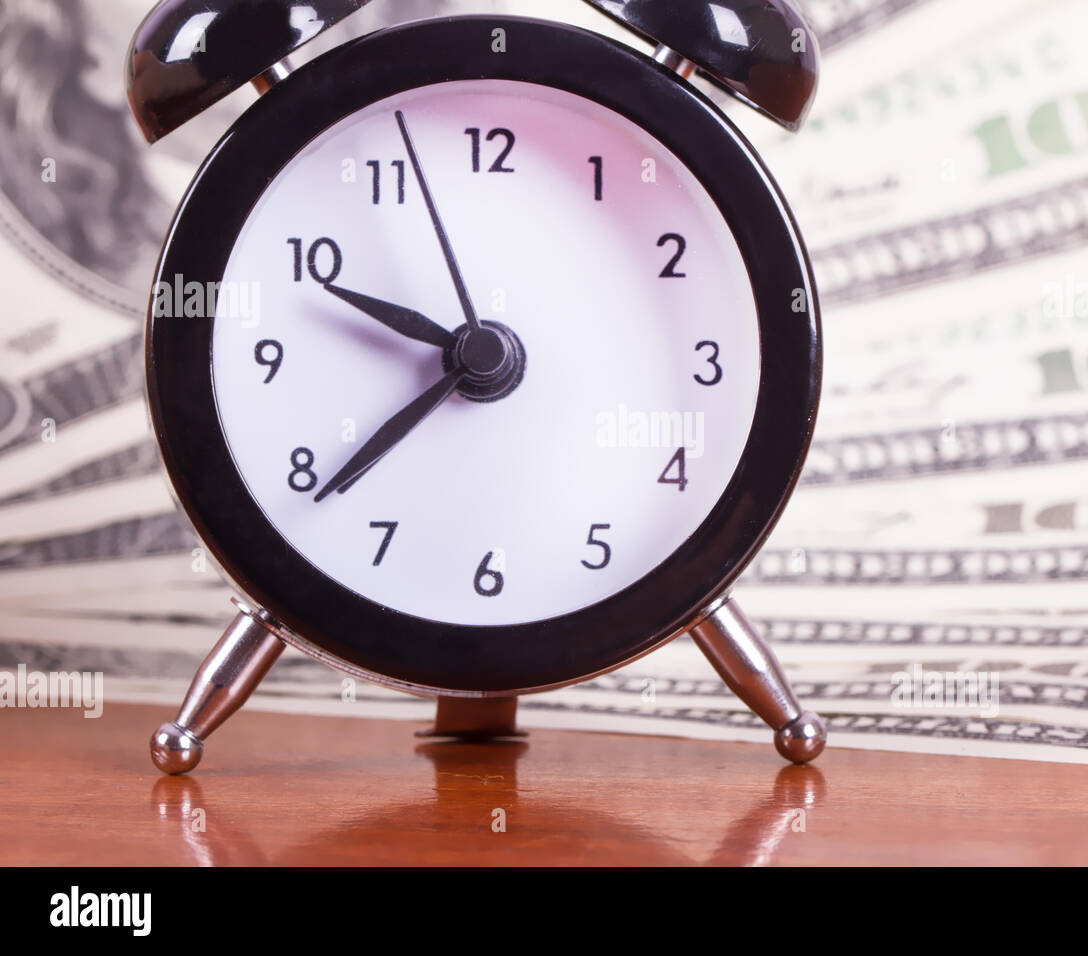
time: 9:38
